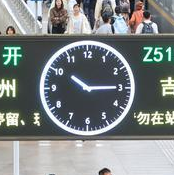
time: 10:14
